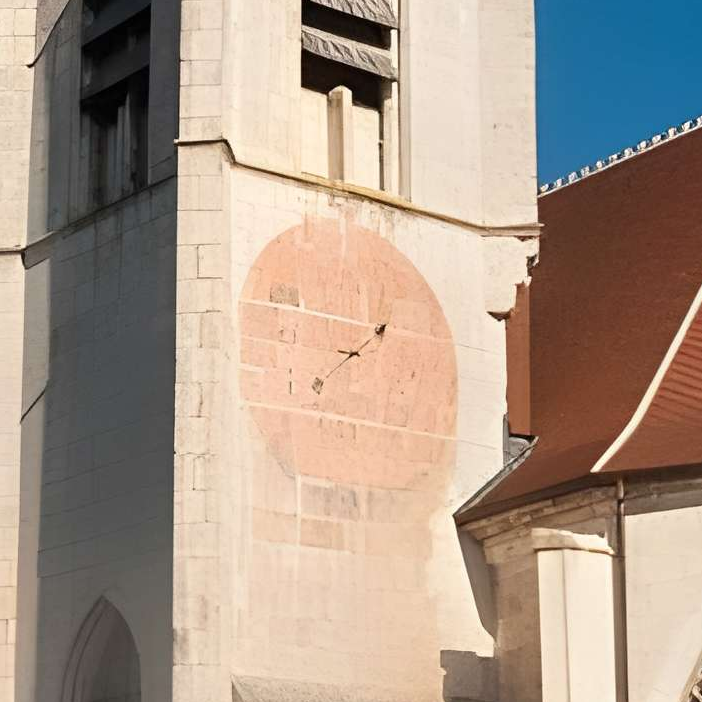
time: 7:47
